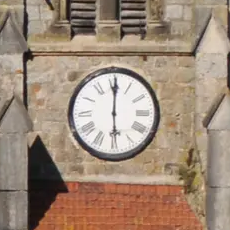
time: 6:00
